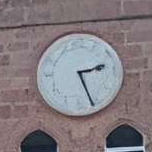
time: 2:26
